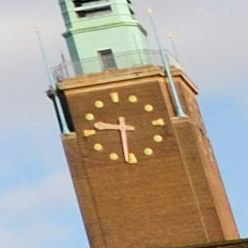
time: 9:31
